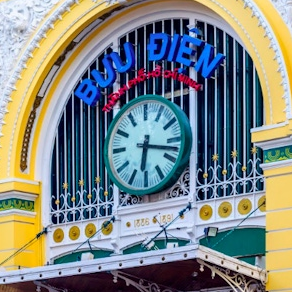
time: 6:17
